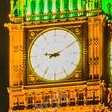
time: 9:10
